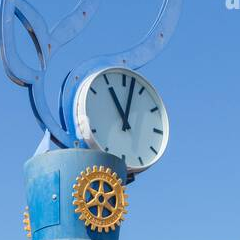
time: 11:02
